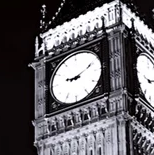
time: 9:11
